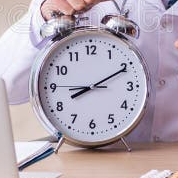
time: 8:10
